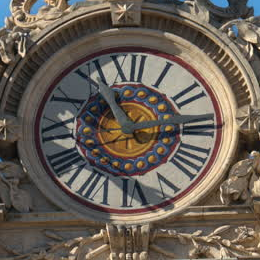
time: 11:13
